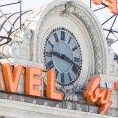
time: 9:17
